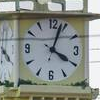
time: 4:03
